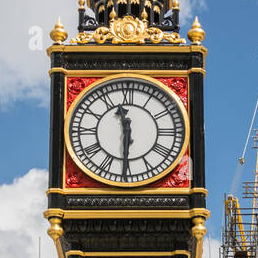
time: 11:30
